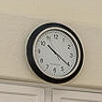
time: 10:20
